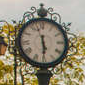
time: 5:29
